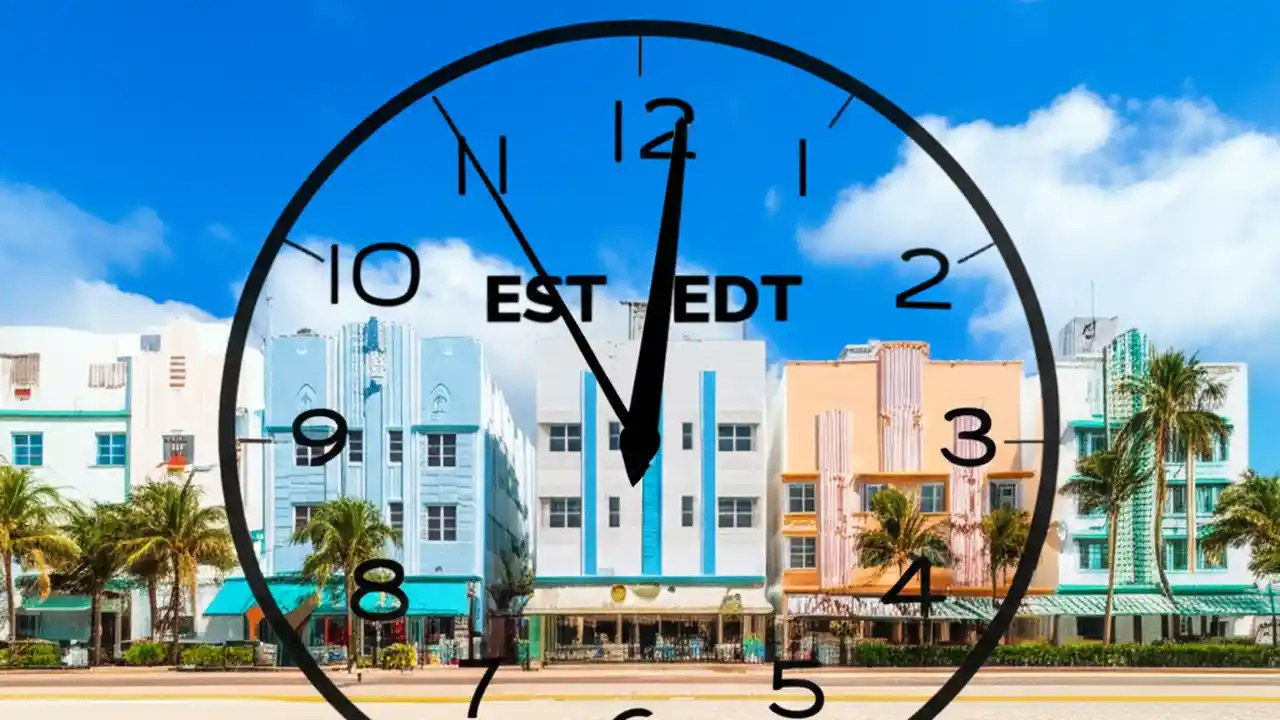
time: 11:01
